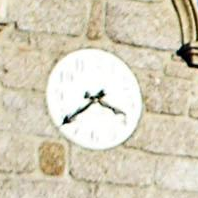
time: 3:38
